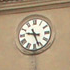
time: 9:26
